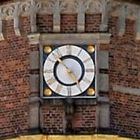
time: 4:52
